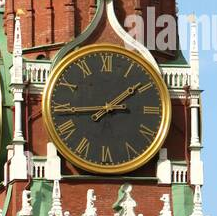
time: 1:43
